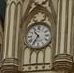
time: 10:35
